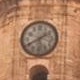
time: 1:40
